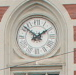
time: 1:51
